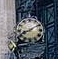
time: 8:09
